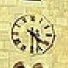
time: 4:29
